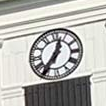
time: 12:36
